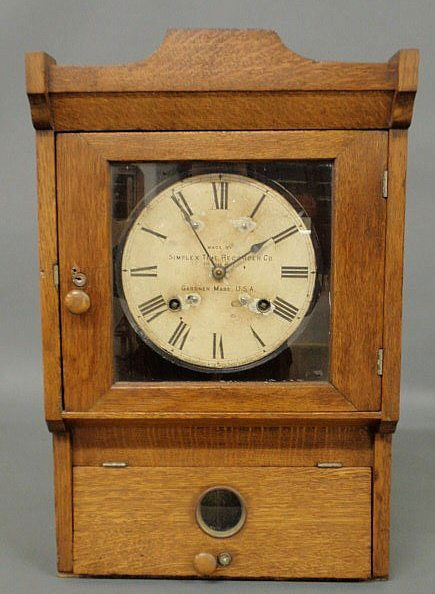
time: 8:09
